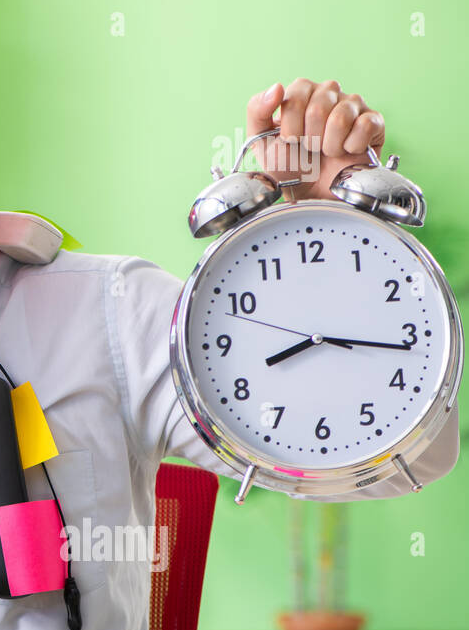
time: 8:16
